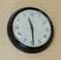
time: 11:29
